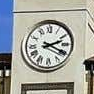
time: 2:19
